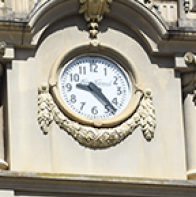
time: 9:23
